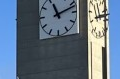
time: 11:11
